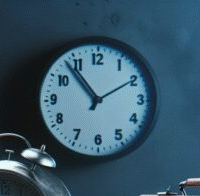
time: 1:53
